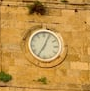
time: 7:04
